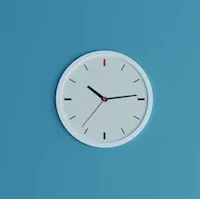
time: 10:13
